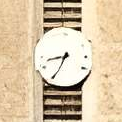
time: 8:34
